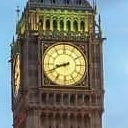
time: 8:41
